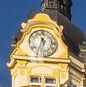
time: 11:33
